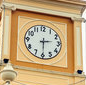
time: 2:29
